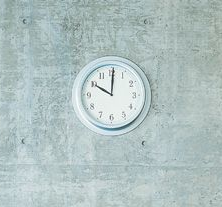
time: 10:00
